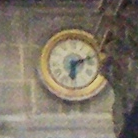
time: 6:11
